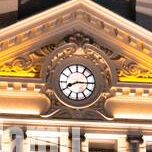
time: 8:15
